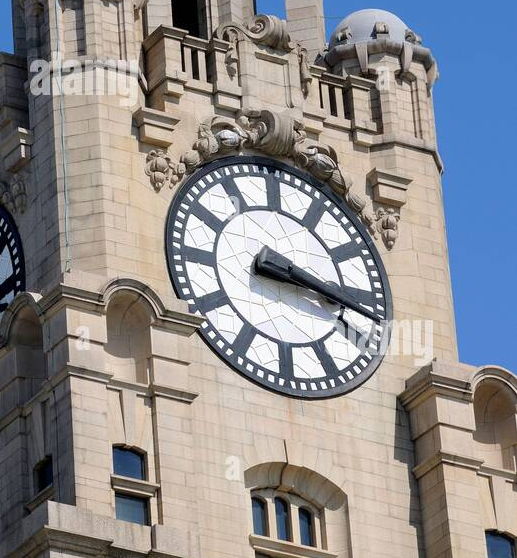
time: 3:17
